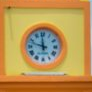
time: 11:47
